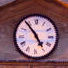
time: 4:53
